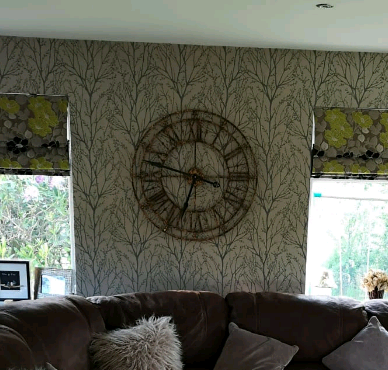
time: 6:47
